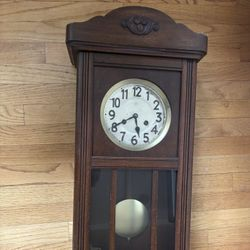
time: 5:41
